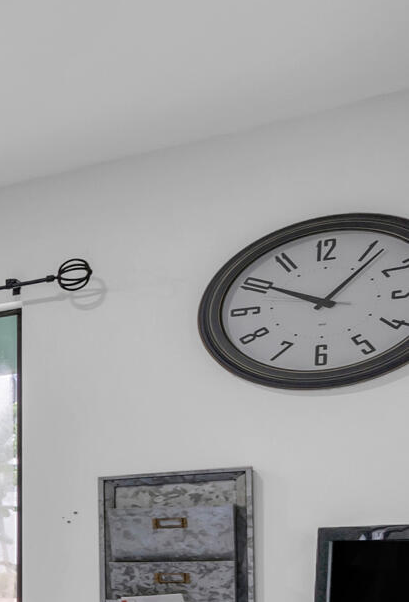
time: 10:06
